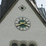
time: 3:40
